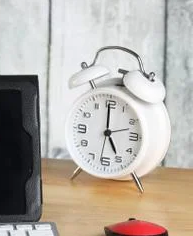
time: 4:59
